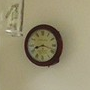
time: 8:18
